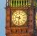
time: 9:32
